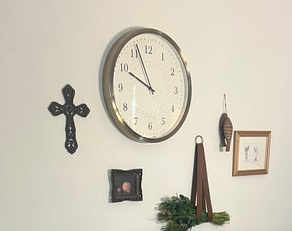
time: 9:56
